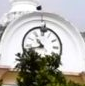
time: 10:42
